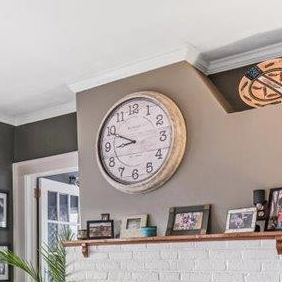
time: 8:49
